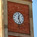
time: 12:26
